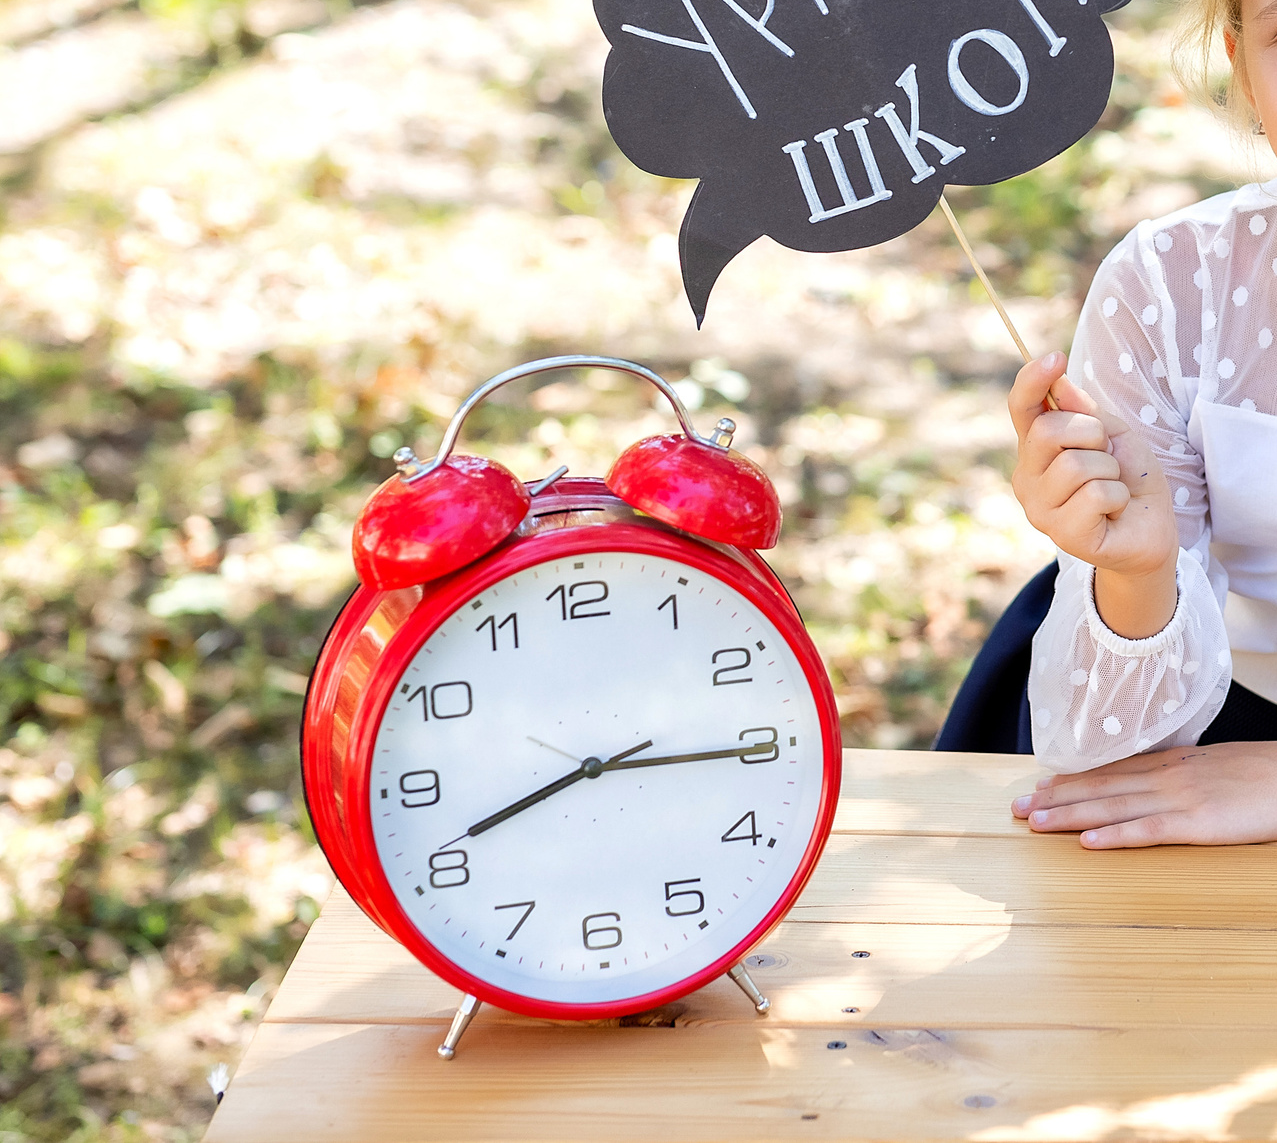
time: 8:15
